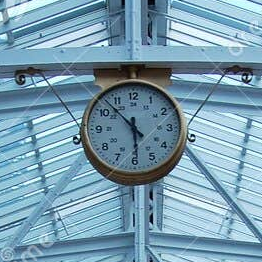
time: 5:52
